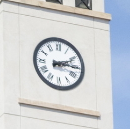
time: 2:15
